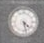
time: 4:27
